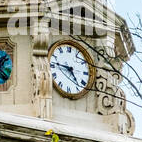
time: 4:46
